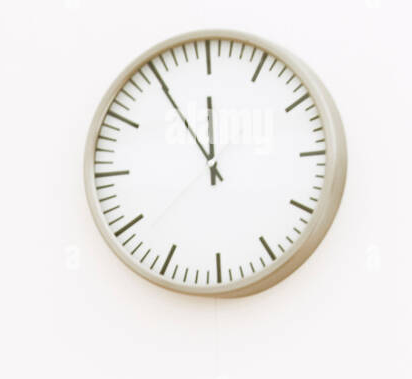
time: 11:54
